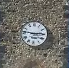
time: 2:46
